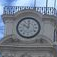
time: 10:00
